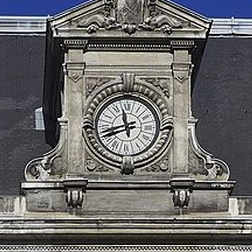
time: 11:41
